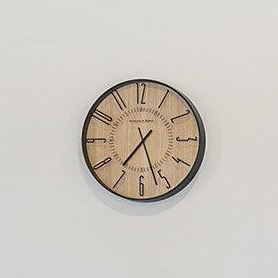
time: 7:26
